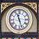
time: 11:27
